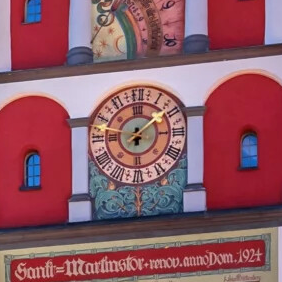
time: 6:08
